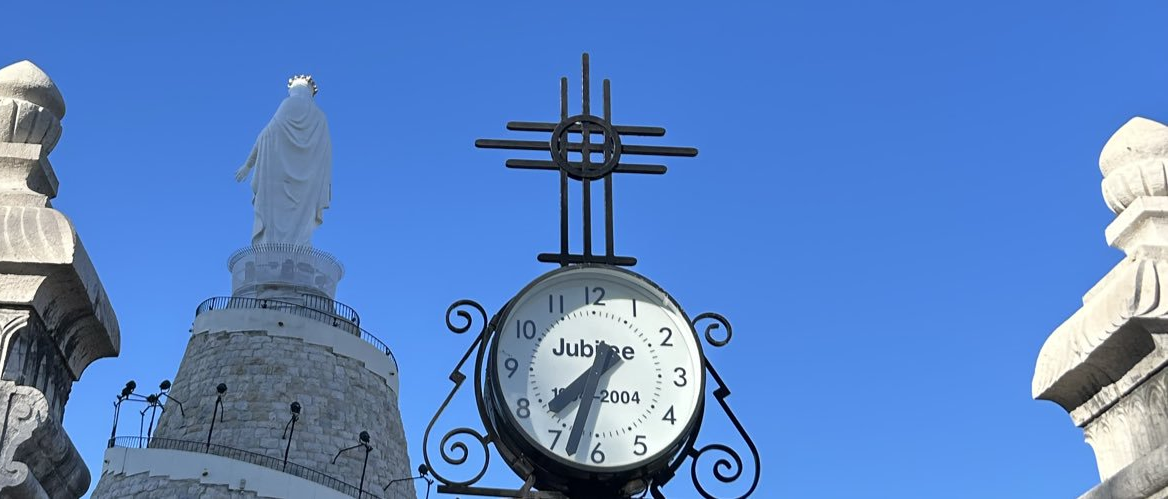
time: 7:32
